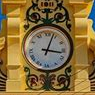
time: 3:03
